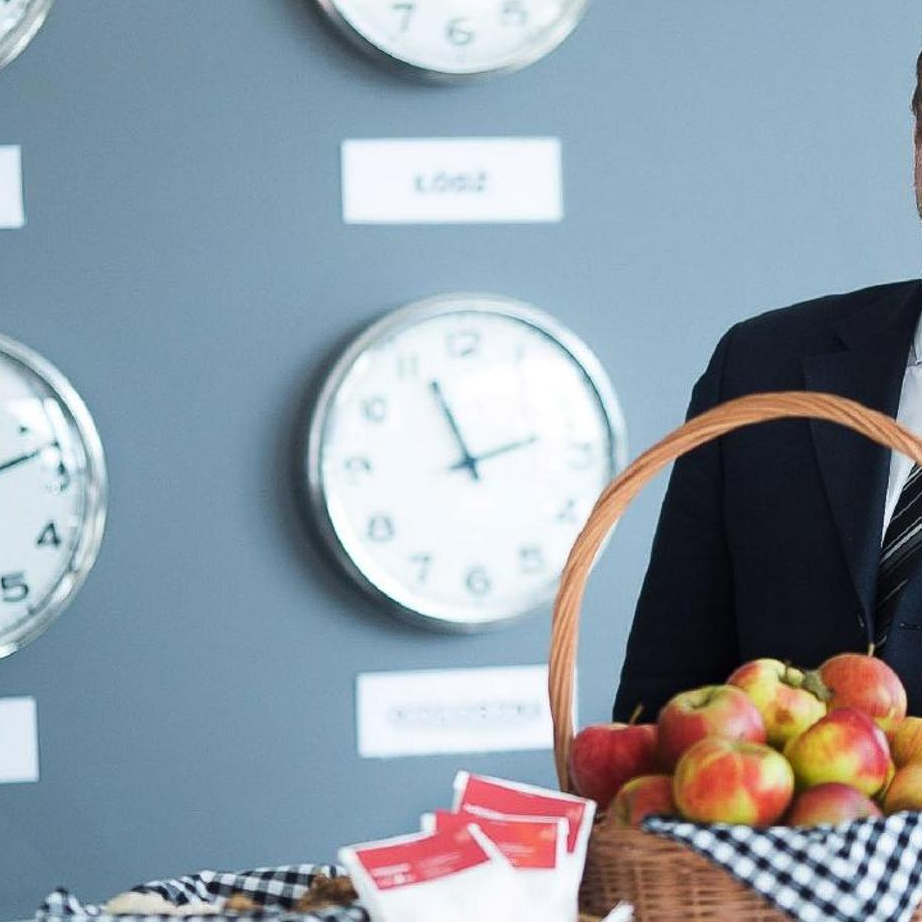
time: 11:12
